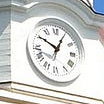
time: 10:04
